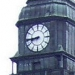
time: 8:44
